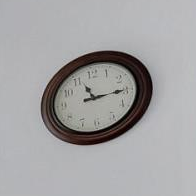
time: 11:14
